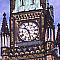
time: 10:28
